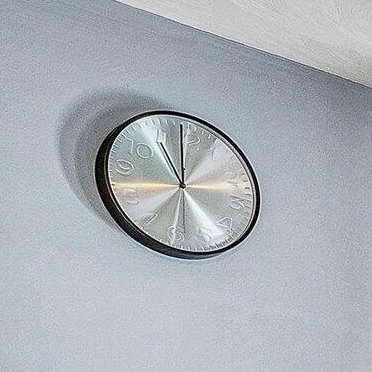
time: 11:00
